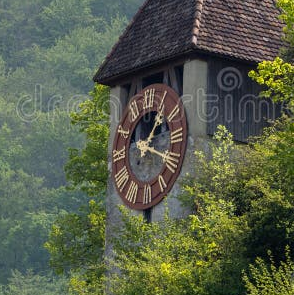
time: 1:19
